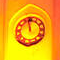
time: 11:58
